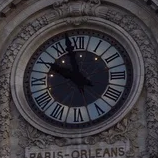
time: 9:57
